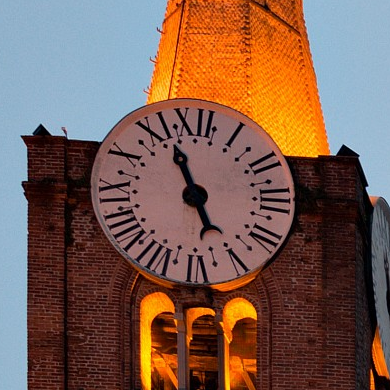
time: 4:56
